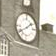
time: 1:39
